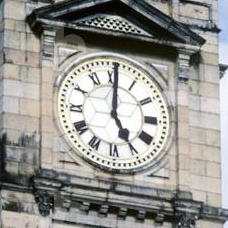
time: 5:00
